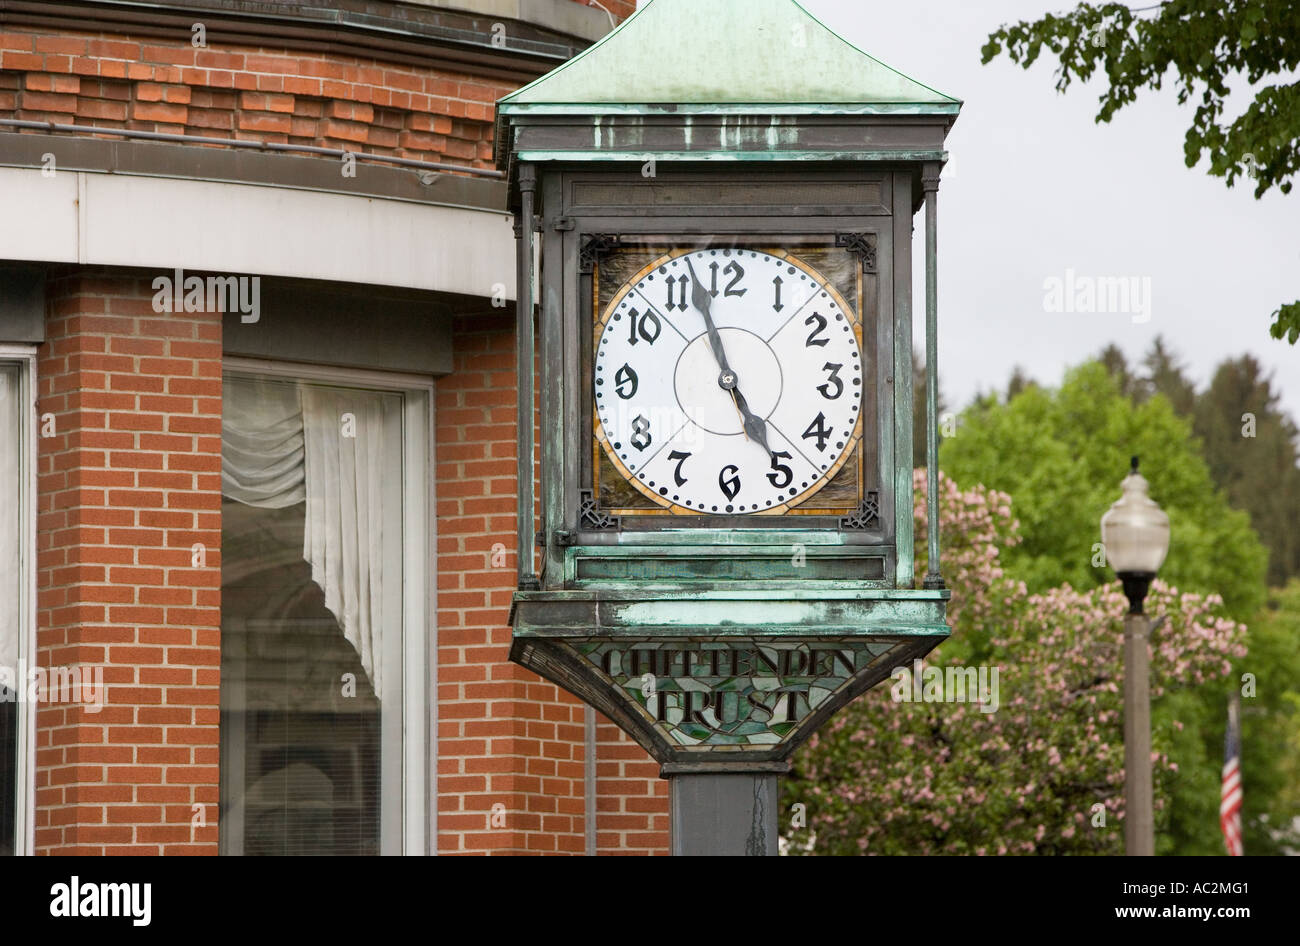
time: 4:57
